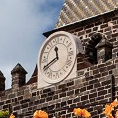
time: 11:40
